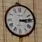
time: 3:13
